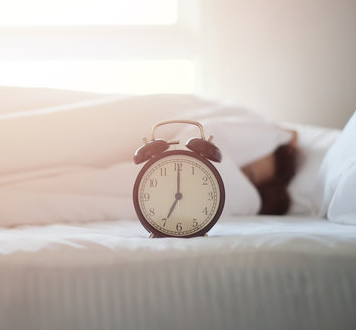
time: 7:00
